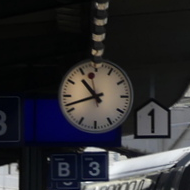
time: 10:41
